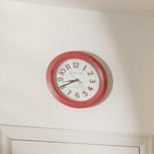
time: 8:40
